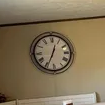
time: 12:34
